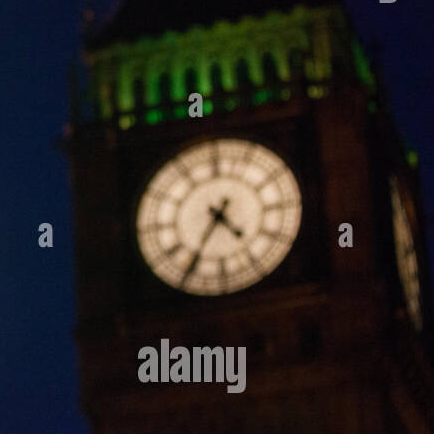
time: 4:35
